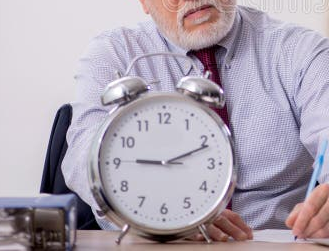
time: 9:11
